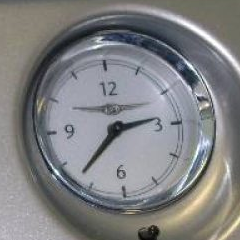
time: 2:37
